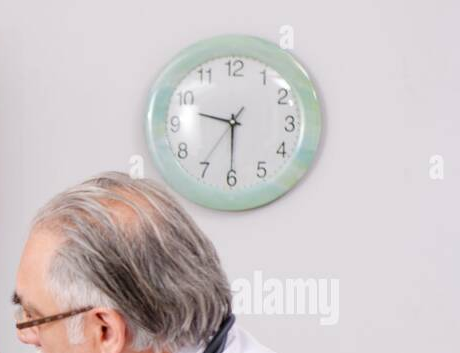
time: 9:30
